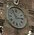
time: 2:54
